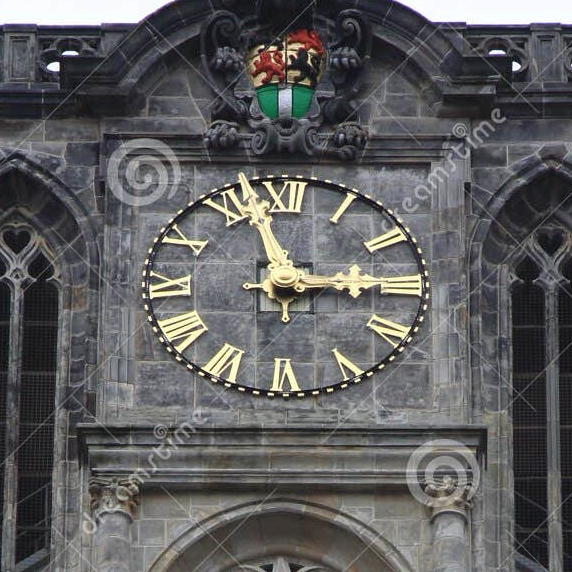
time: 2:57
